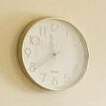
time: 11:39
